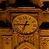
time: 6:45
